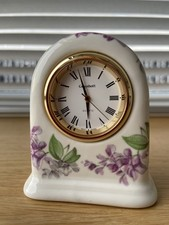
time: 5:57
